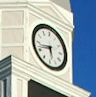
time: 5:42
